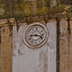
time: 3:43
